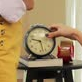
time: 9:27
